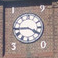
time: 3:44
